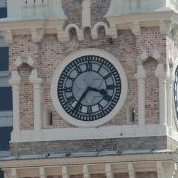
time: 3:36
